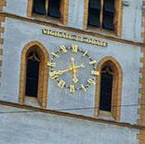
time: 5:40
